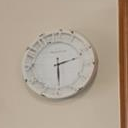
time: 2:29
